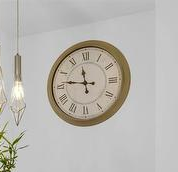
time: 11:46
